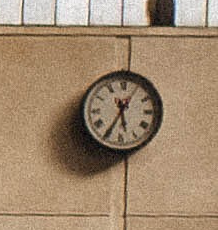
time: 5:35
